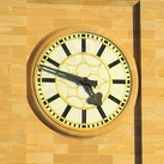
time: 4:47
